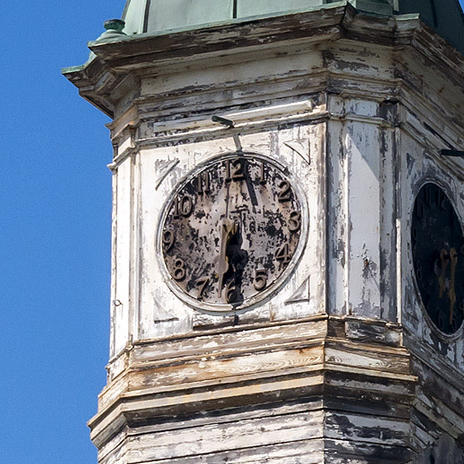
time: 5:59
